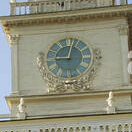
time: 9:01
